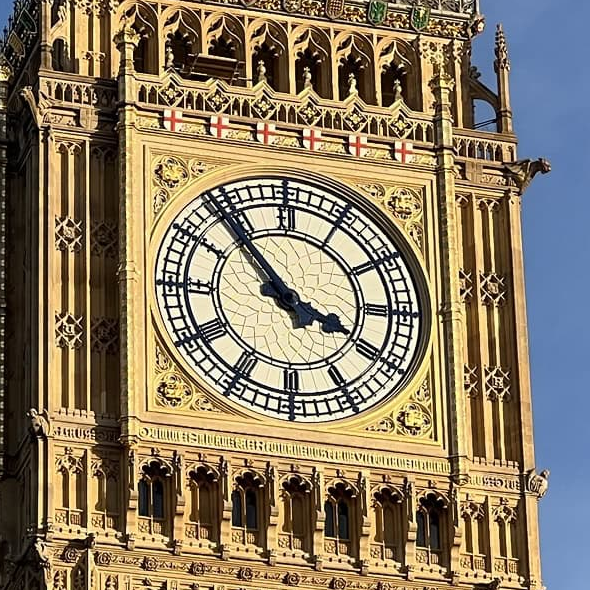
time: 3:53
